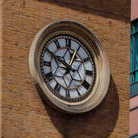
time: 12:49
